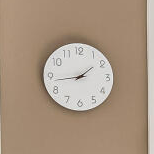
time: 1:43
